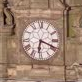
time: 6:18
